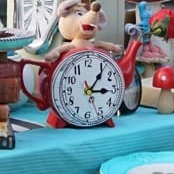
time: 3:06
